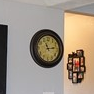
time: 11:13
